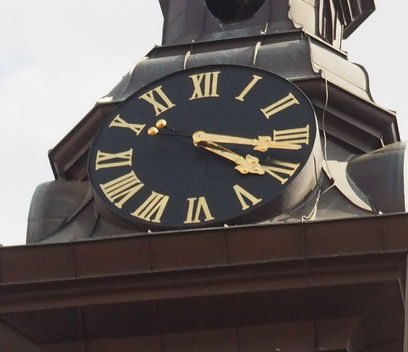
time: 4:17
